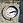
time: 2:12
